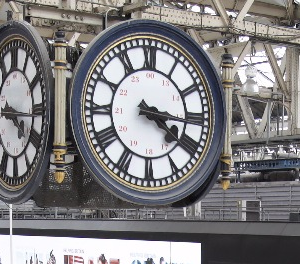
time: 4:16
